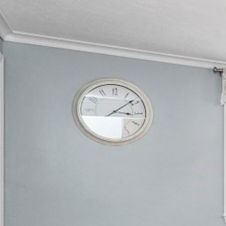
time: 3:08
